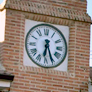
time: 6:26
